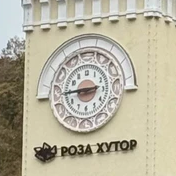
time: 8:43
